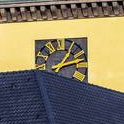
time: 1:12
